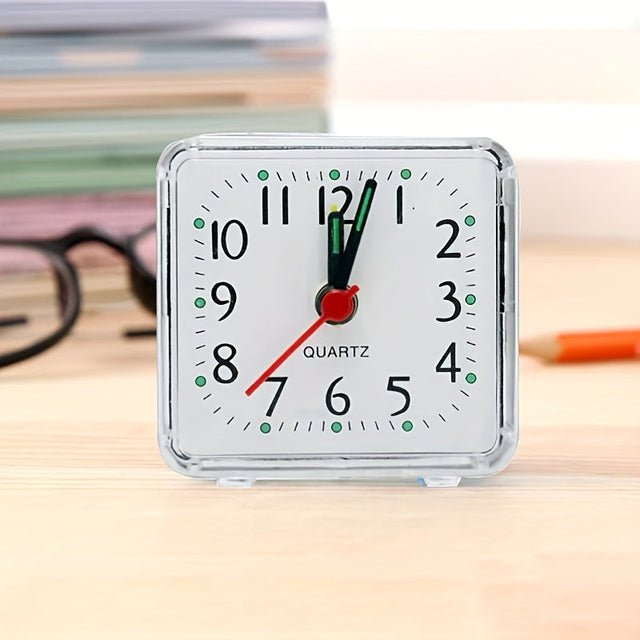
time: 12:02
